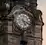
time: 5:18
